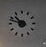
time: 10:48
